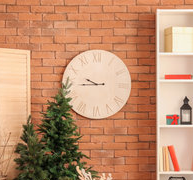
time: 9:44
